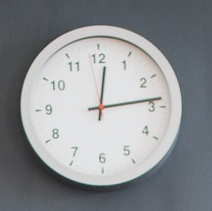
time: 12:13
